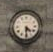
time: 4:29
